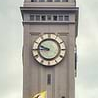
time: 9:44
